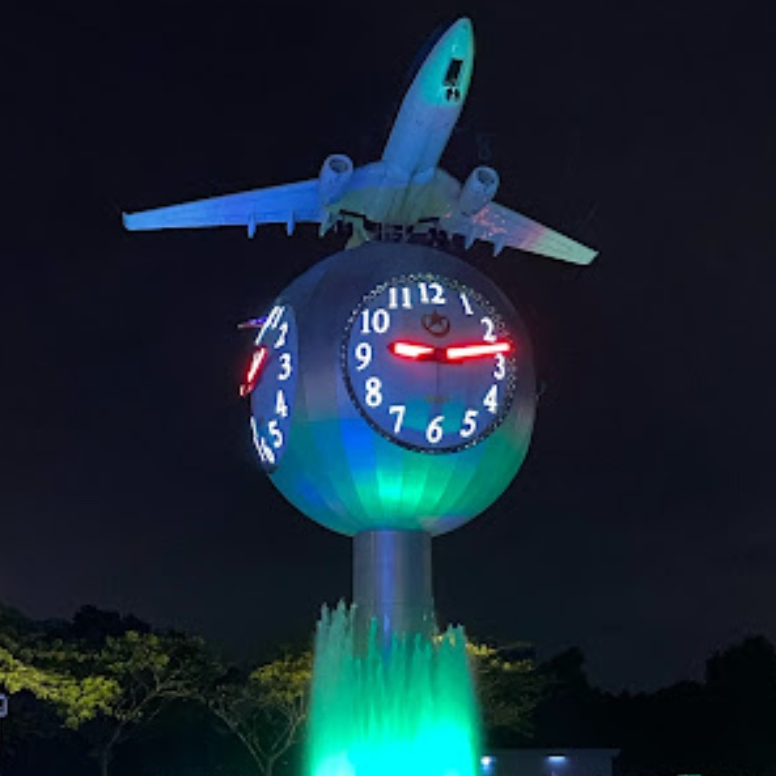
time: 9:13
